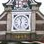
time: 11:32
